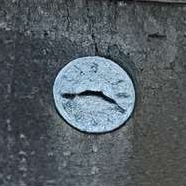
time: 3:43
